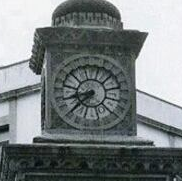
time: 8:37
